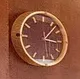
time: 3:07
